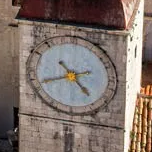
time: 4:42
